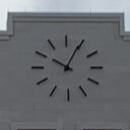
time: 10:04
